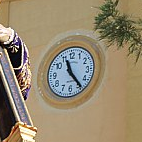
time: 11:23
